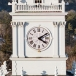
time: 4:09
